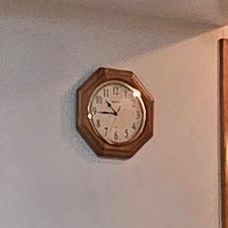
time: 10:45
